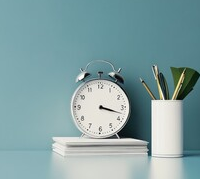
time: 3:17
